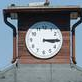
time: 3:14
